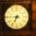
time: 6:45
